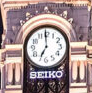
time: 6:59
